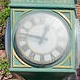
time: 12:47
